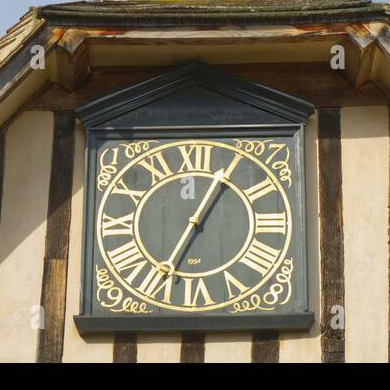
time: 7:05
